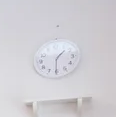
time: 1:30
